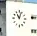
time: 11:03
